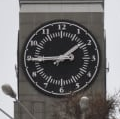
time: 1:44
